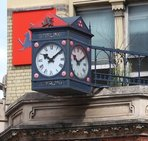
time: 10:07
